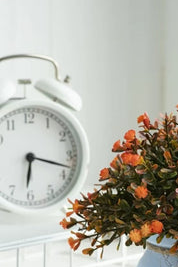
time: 6:17
